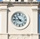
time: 10:45
